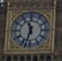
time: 11:32
